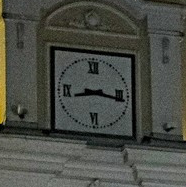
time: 8:16
